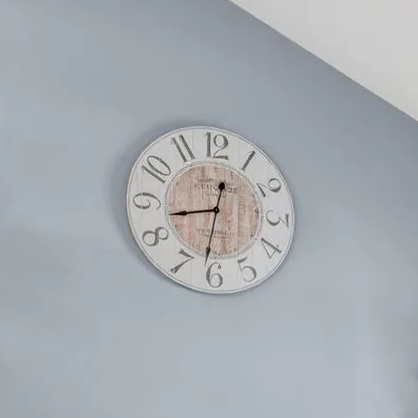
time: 8:31
